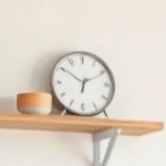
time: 6:10
